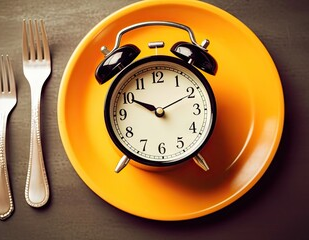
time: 9:50
